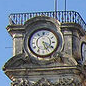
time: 5:18
